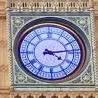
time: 4:13
